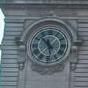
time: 10:28
